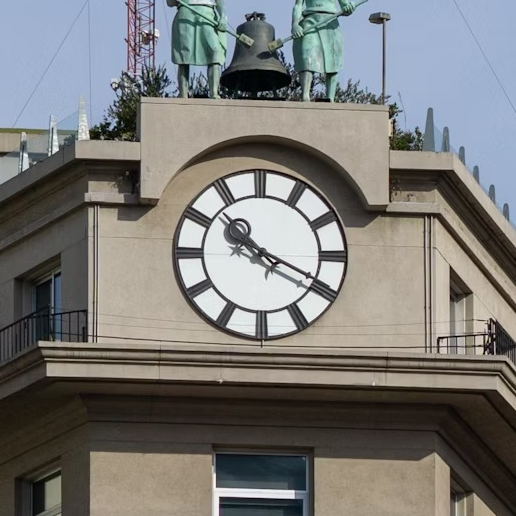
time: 10:19
